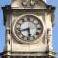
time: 5:42
